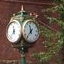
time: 11:36
